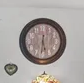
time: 5:31
